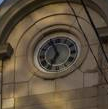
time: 6:56
